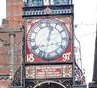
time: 12:32
